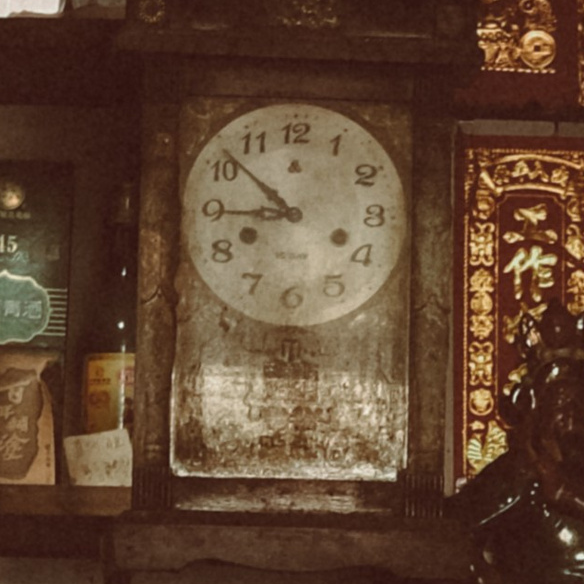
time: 8:51
